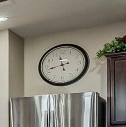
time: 11:42
